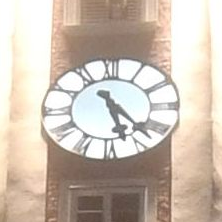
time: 5:22
